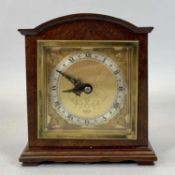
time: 8:50
